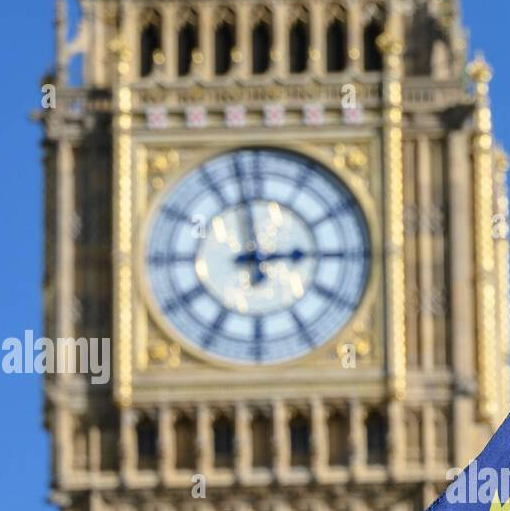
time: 2:58
